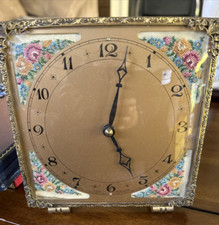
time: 5:02
